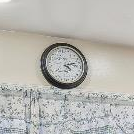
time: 4:12
